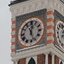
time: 12:26
